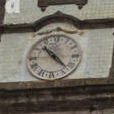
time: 10:22
